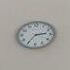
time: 2:35
